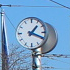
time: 1:18
